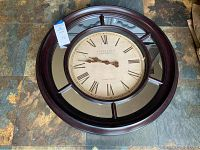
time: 9:47
